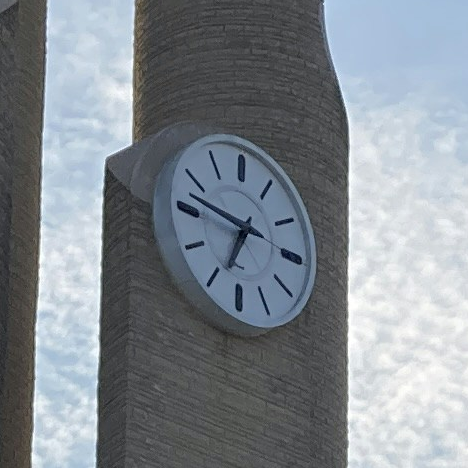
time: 6:47
